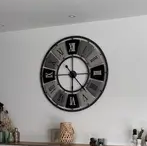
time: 6:14
